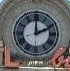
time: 1:59
